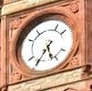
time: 5:35
